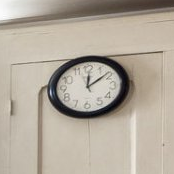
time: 12:08
